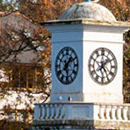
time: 1:28
